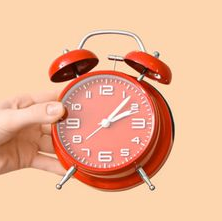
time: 2:07
